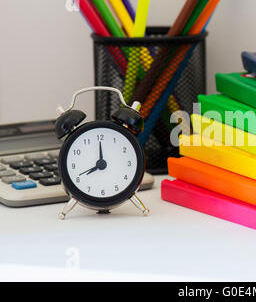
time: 8:00
